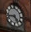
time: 4:42
